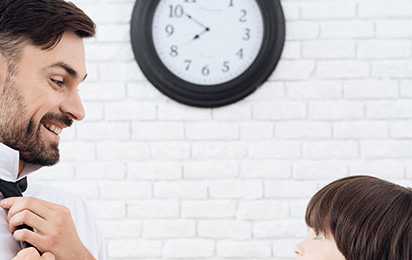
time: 7:50
